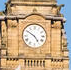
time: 4:50
